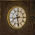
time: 8:28
